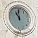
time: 10:59
